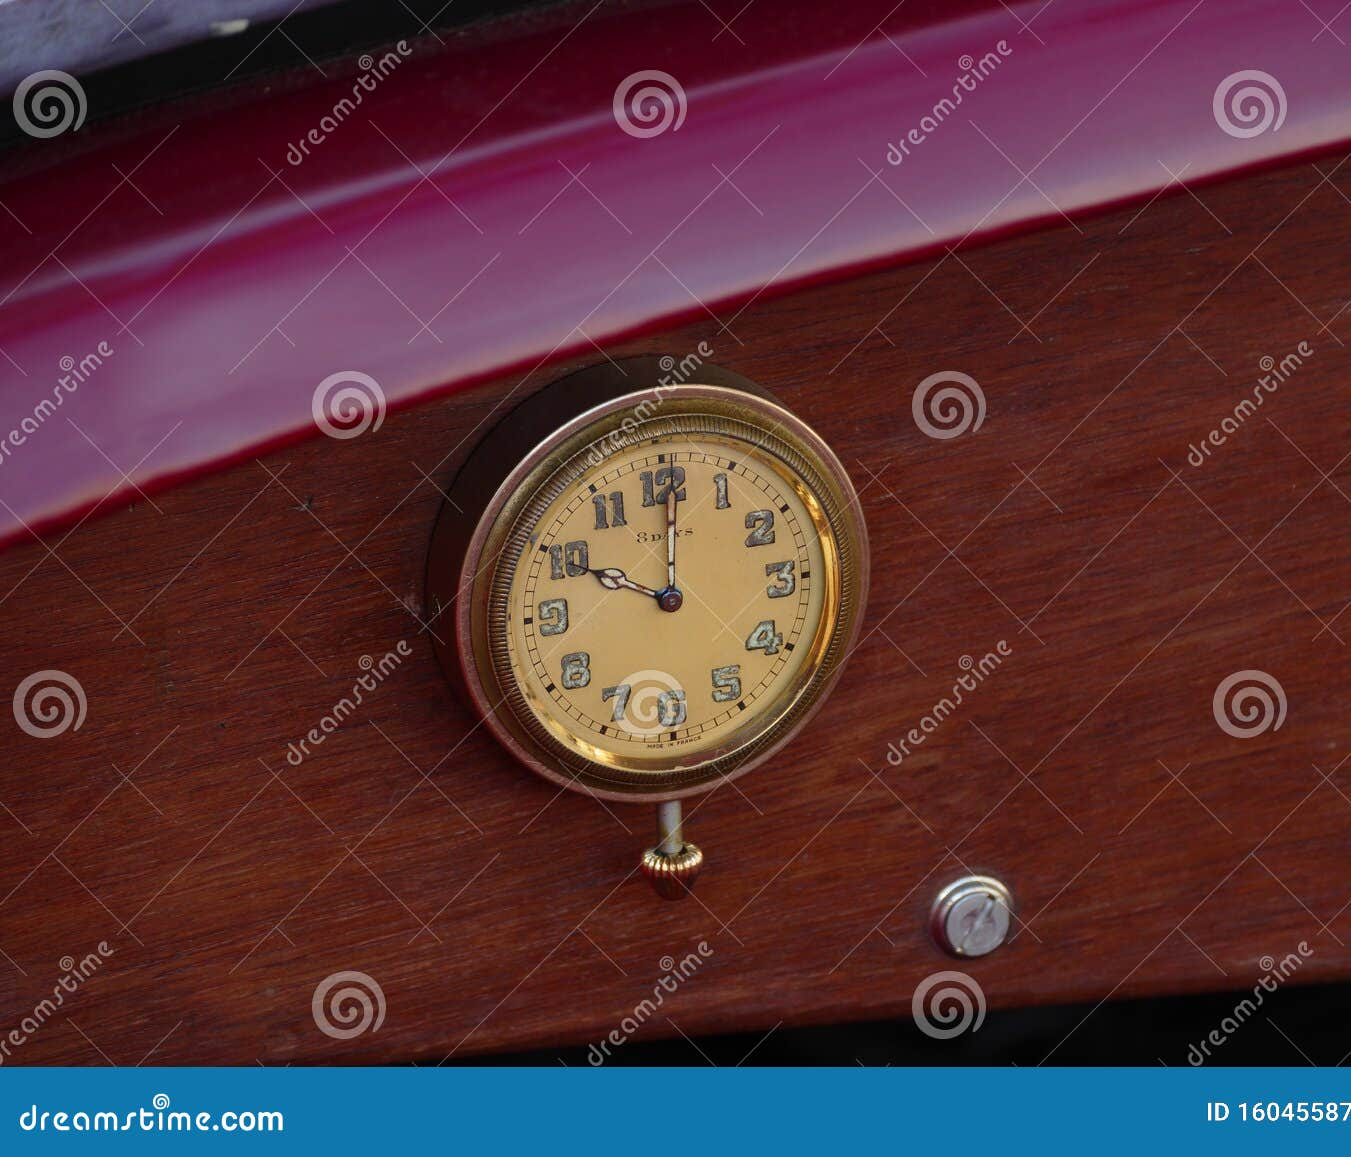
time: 10:00
